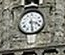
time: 3:28
